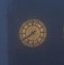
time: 7:39
